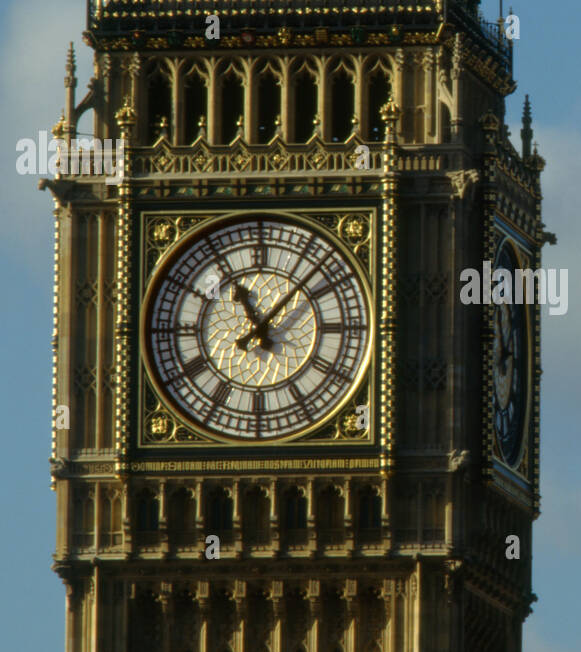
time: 11:07
